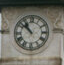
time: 10:52
